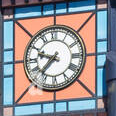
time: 9:37
